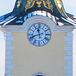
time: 11:41
